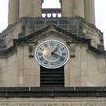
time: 1:18
